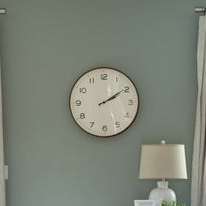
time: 2:09
